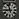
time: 8:56
